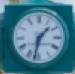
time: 1:32
